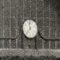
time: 11:36
